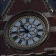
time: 10:43
